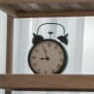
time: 8:56
